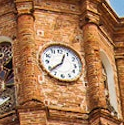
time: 12:38
